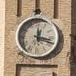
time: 12:17
